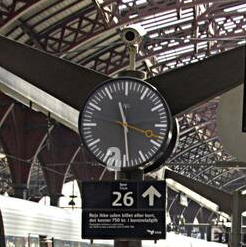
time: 11:29
